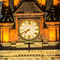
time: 7:40
